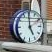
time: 4:59
